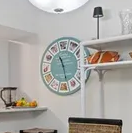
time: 11:28
